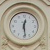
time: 12:28
